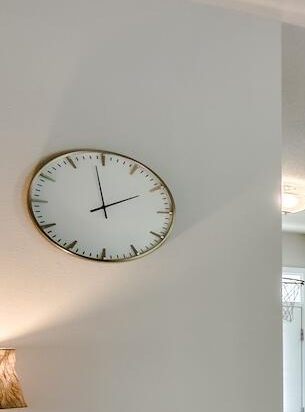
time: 1:58
